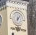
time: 6:06
